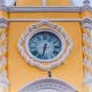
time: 6:32
